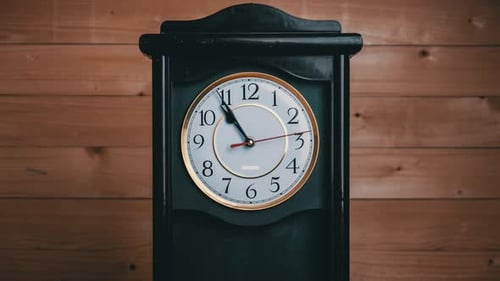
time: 10:54
